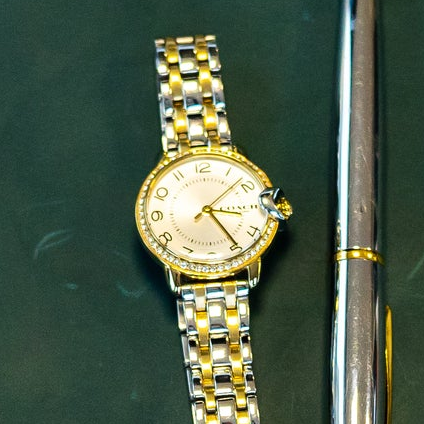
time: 3:24
